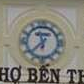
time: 11:37
